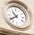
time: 10:39
